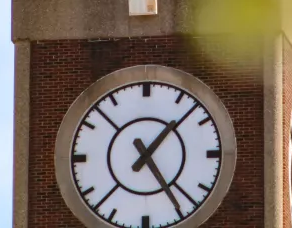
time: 1:24
